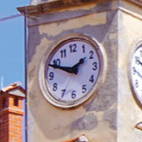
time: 1:48
